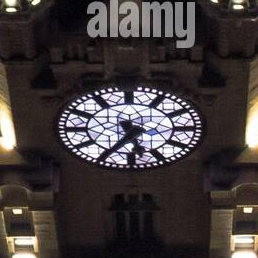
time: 5:35
